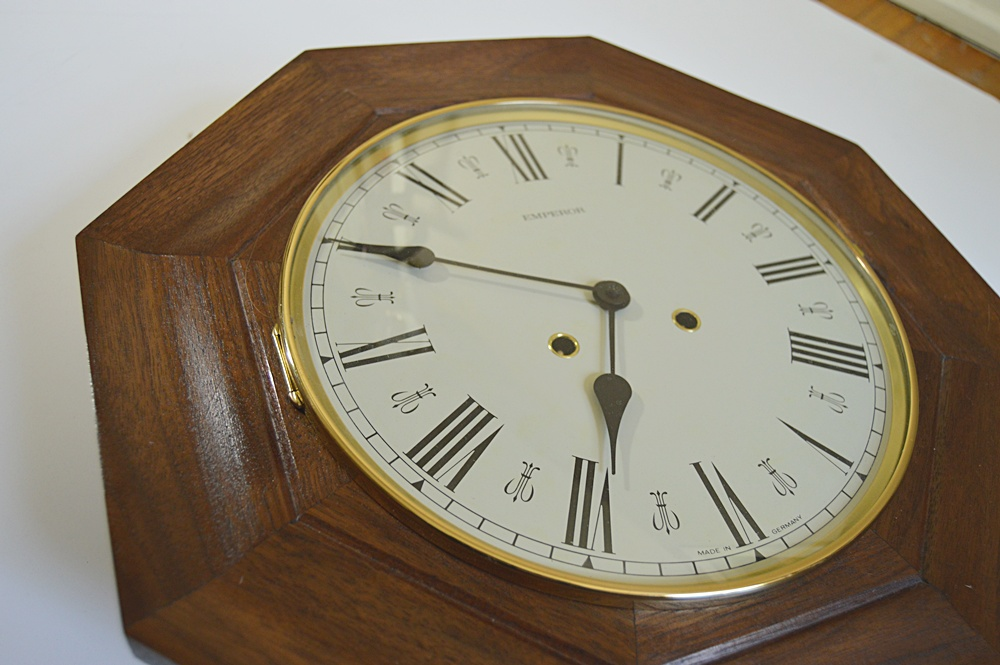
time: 6:50
